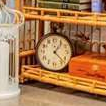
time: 1:22
